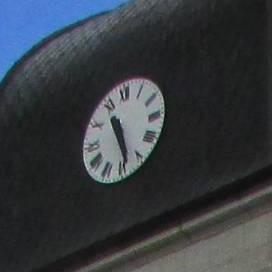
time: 11:28
